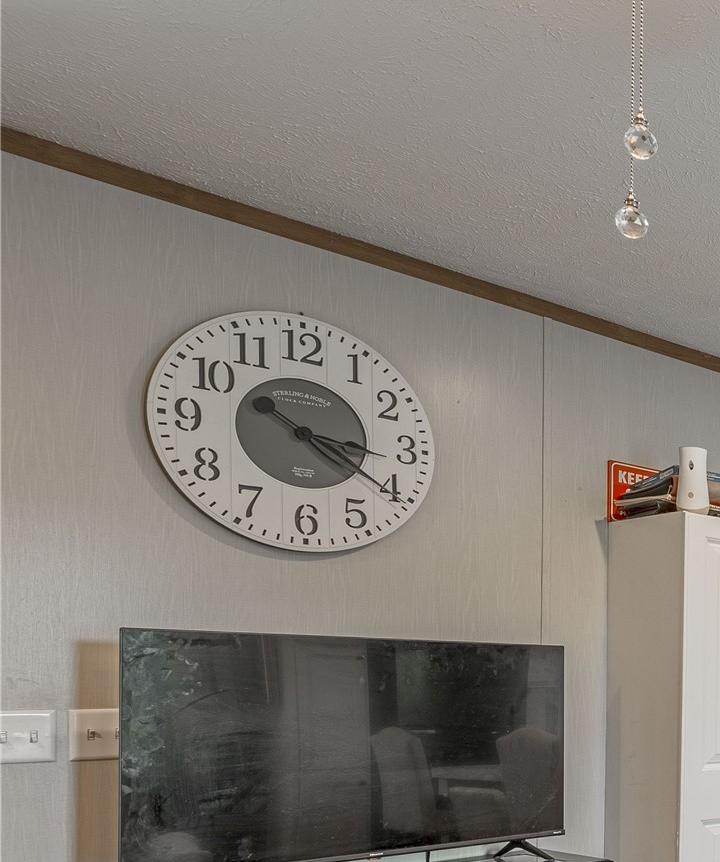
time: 3:20
